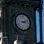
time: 3:11
